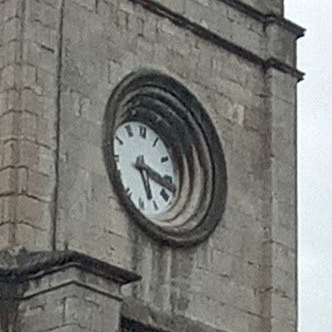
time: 5:17
